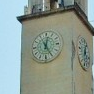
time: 12:24
